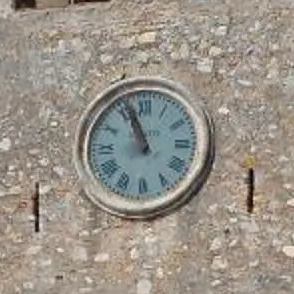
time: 10:56
